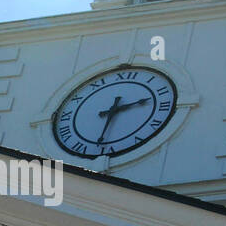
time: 2:31
